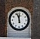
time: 11:56
